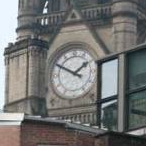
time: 1:50
